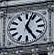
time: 5:03
